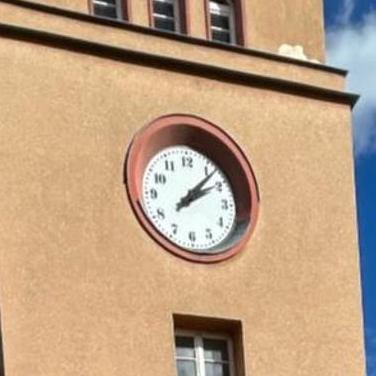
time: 2:07
